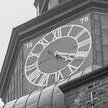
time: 4:19
